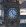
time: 11:21
